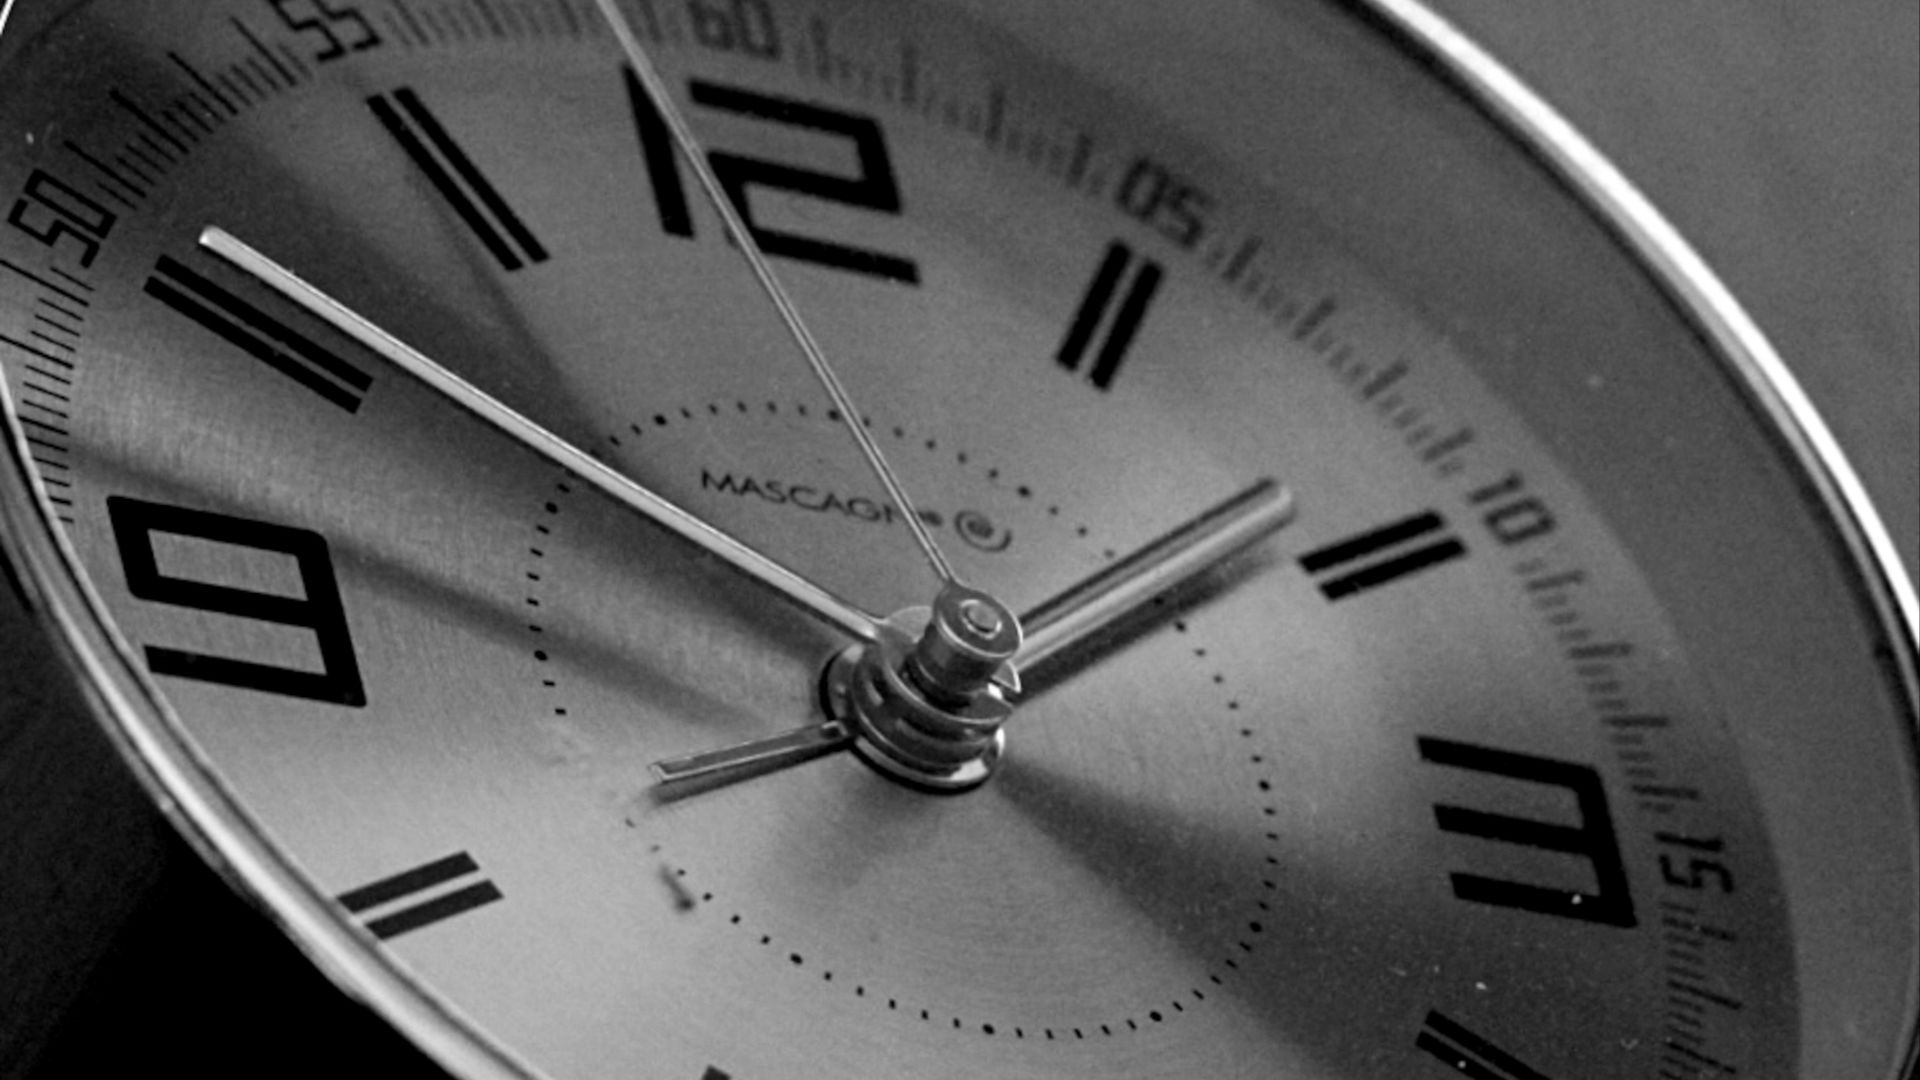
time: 1:50
